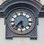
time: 5:36
